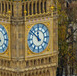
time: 11:51
